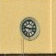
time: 2:46
